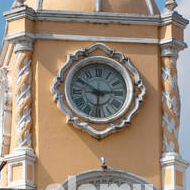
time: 5:50
